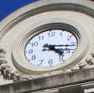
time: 4:16
